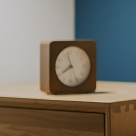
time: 7:57
